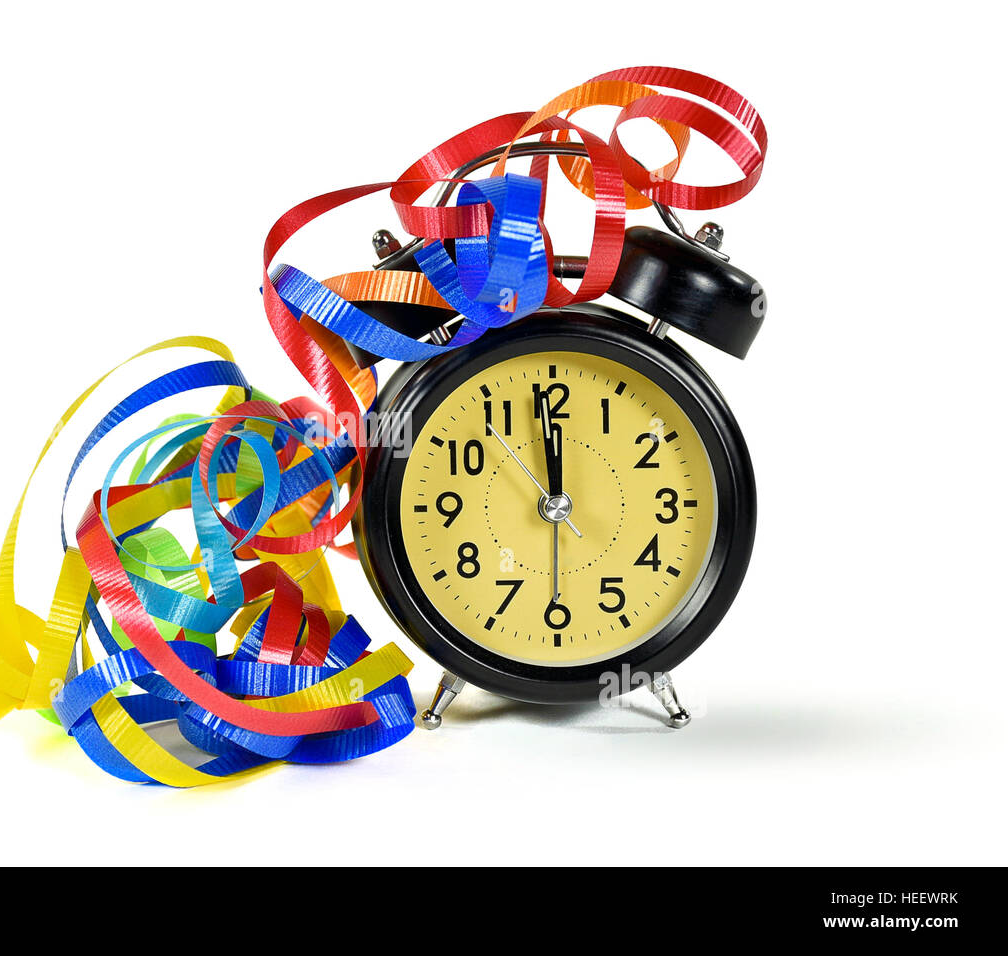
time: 11:58
